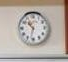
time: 10:32
